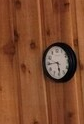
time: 5:44
